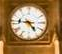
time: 4:46
